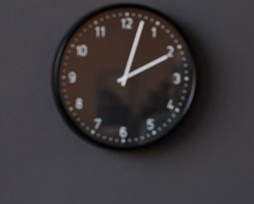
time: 2:02
